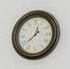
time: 12:38
